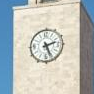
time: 2:26
